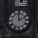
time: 1:59
